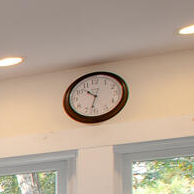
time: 10:32
